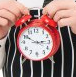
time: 2:50
